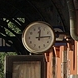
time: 12:14
